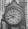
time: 9:40
